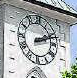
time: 2:11
